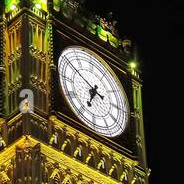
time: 6:50
